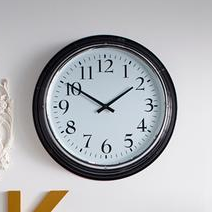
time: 1:50
